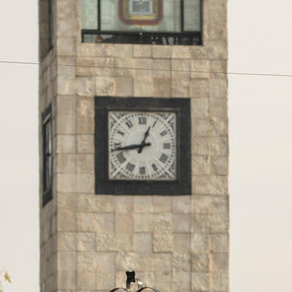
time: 12:43
